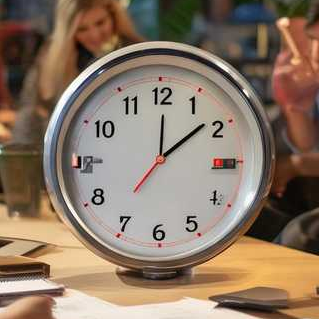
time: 12:08
